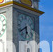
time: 5:38
